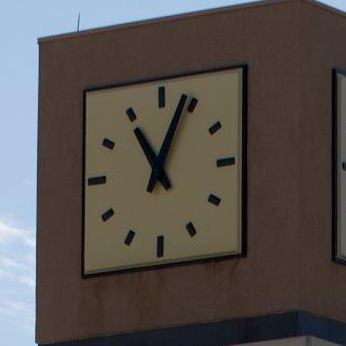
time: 11:03
